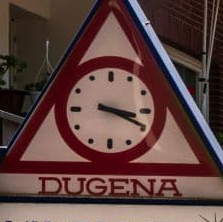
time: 3:19
